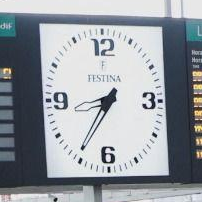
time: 7:35
